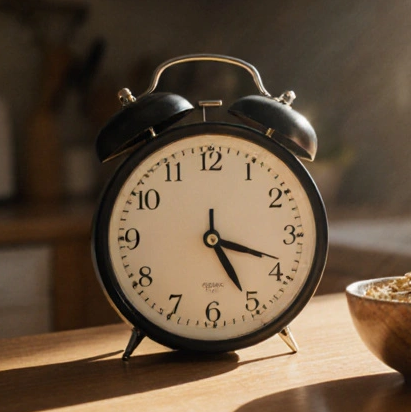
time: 5:18
